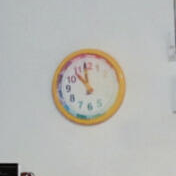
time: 11:00
